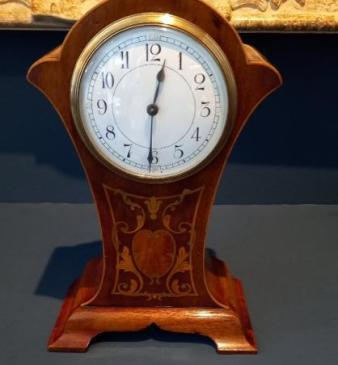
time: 12:30
